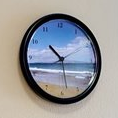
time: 10:28
